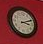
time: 3:11
